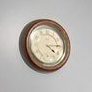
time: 4:14
